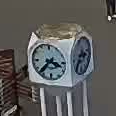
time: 3:37
